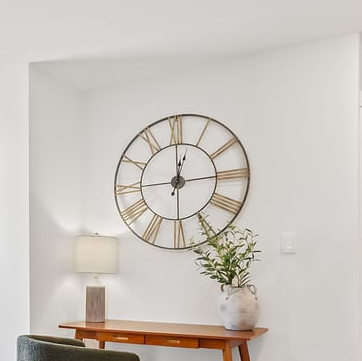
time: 12:14
